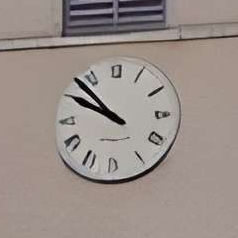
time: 9:52
